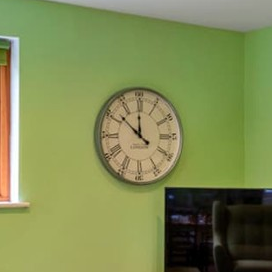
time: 11:51
